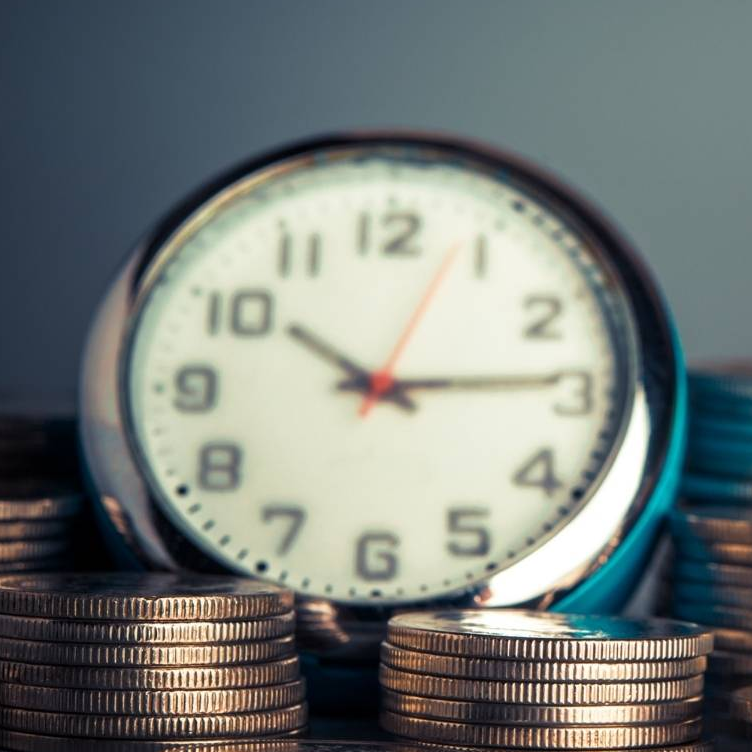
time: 10:14
